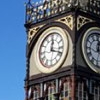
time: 12:18
